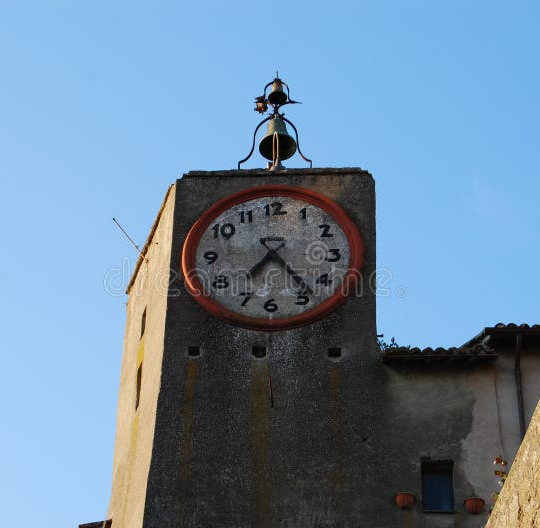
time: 7:23
